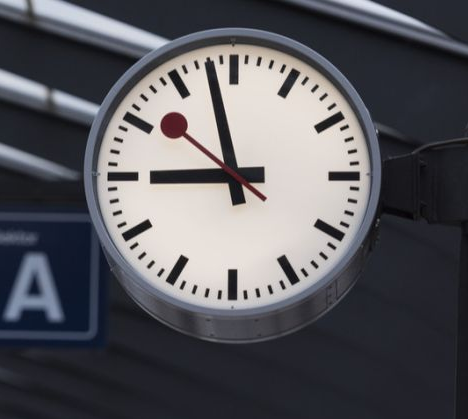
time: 8:57
